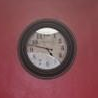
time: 4:47
